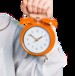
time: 1:51
